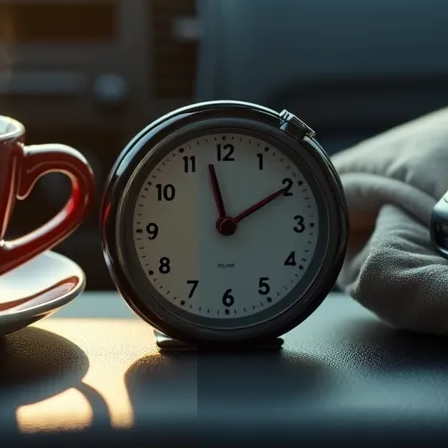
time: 1:57
